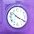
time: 10:19
